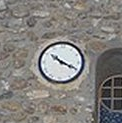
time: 10:19
